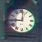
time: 9:01
